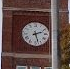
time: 2:27
